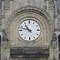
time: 10:47
